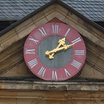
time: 1:10
